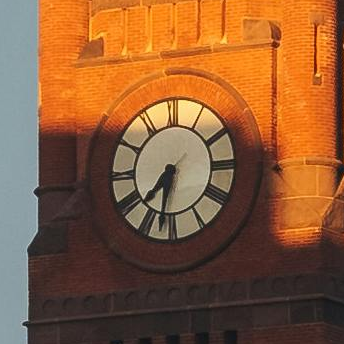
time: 7:32
